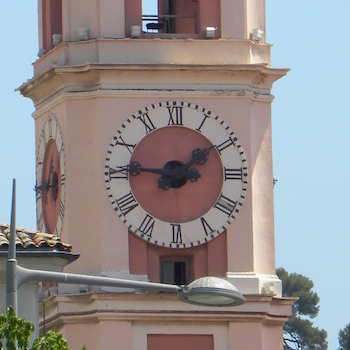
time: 1:46
